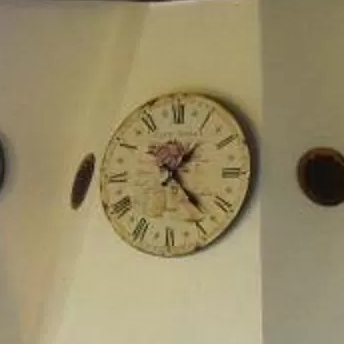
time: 1:22
